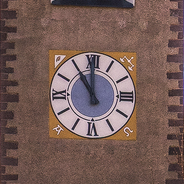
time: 10:59
